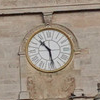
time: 10:28
